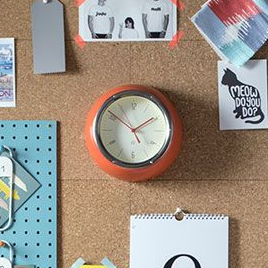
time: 1:51
